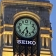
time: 5:35
